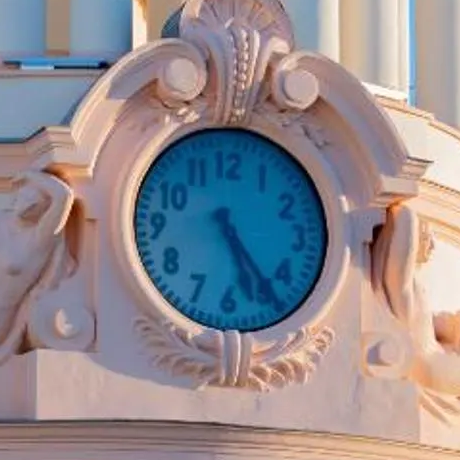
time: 5:23
